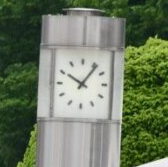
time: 10:06
